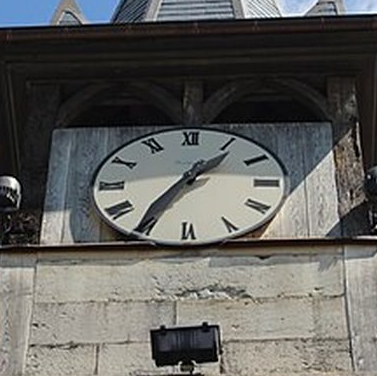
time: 1:35
